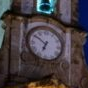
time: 6:50
